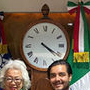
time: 4:20
